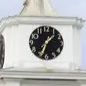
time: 1:33
